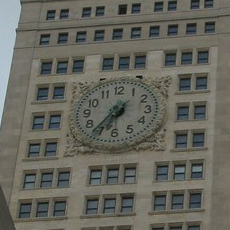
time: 6:36
